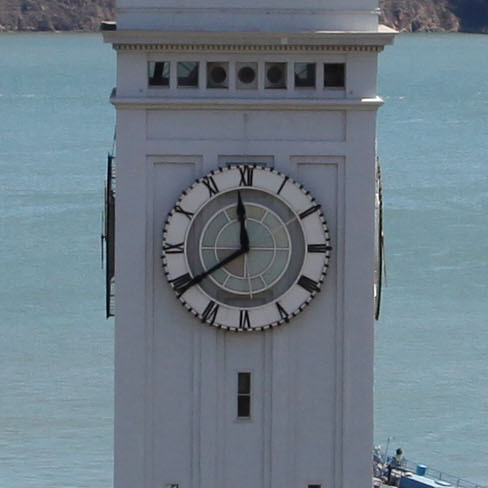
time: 11:39
